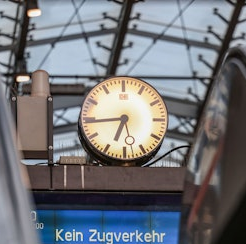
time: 6:44
